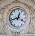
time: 12:42
